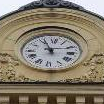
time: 10:56
